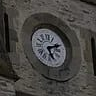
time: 5:11
